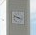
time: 3:48
